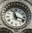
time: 11:18
